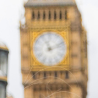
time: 11:11
